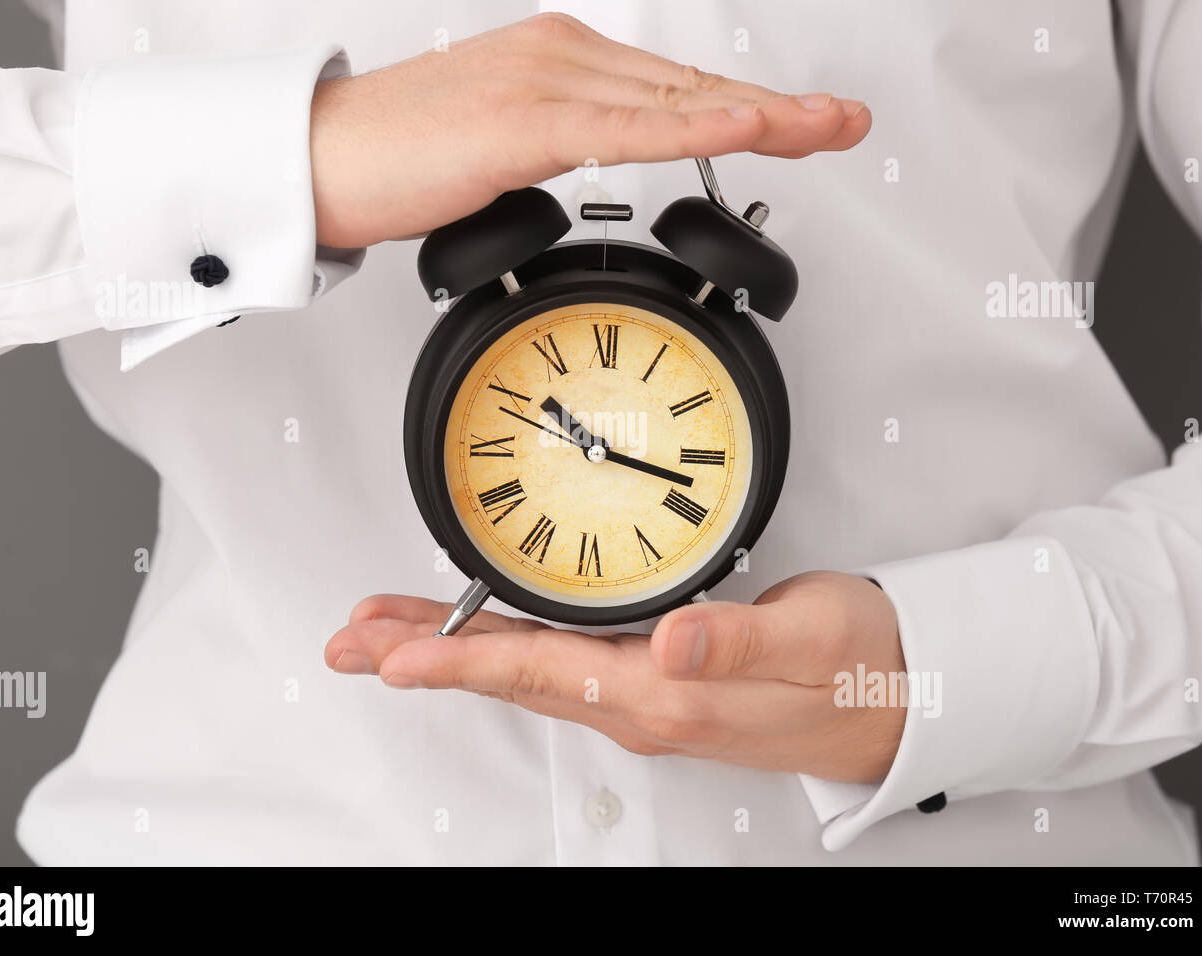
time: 10:17
